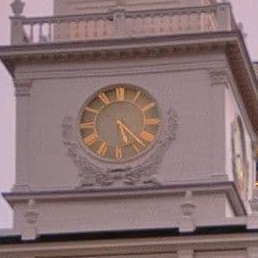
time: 5:22
